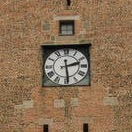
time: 2:29
